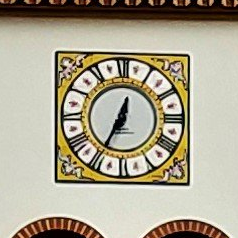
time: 12:34
